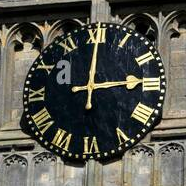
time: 3:00
